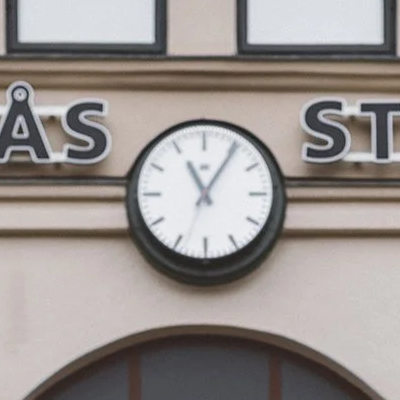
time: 11:05
